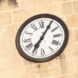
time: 7:05
